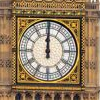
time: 12:00
